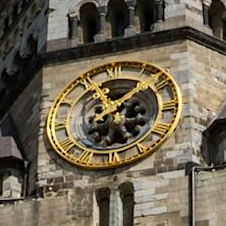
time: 11:07
